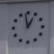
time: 12:58
